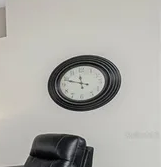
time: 11:48
